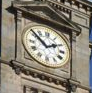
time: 1:51
